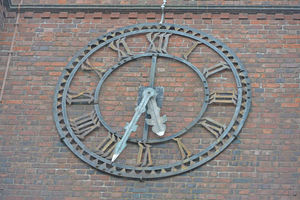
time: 5:33
